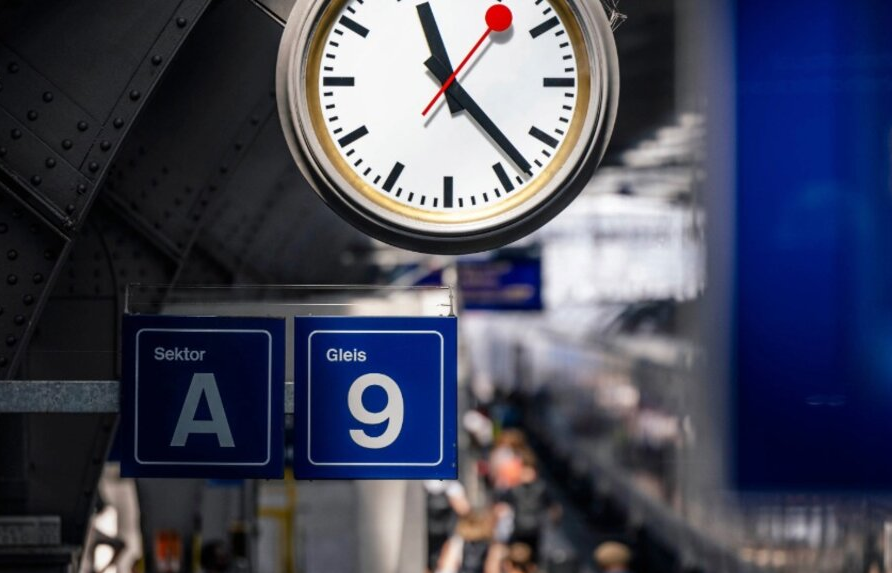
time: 11:22
